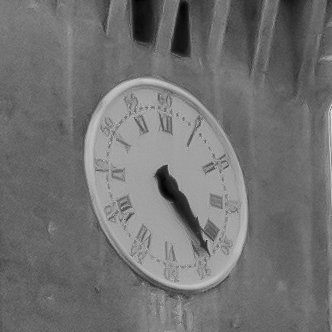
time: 4:22
